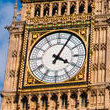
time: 4:04
